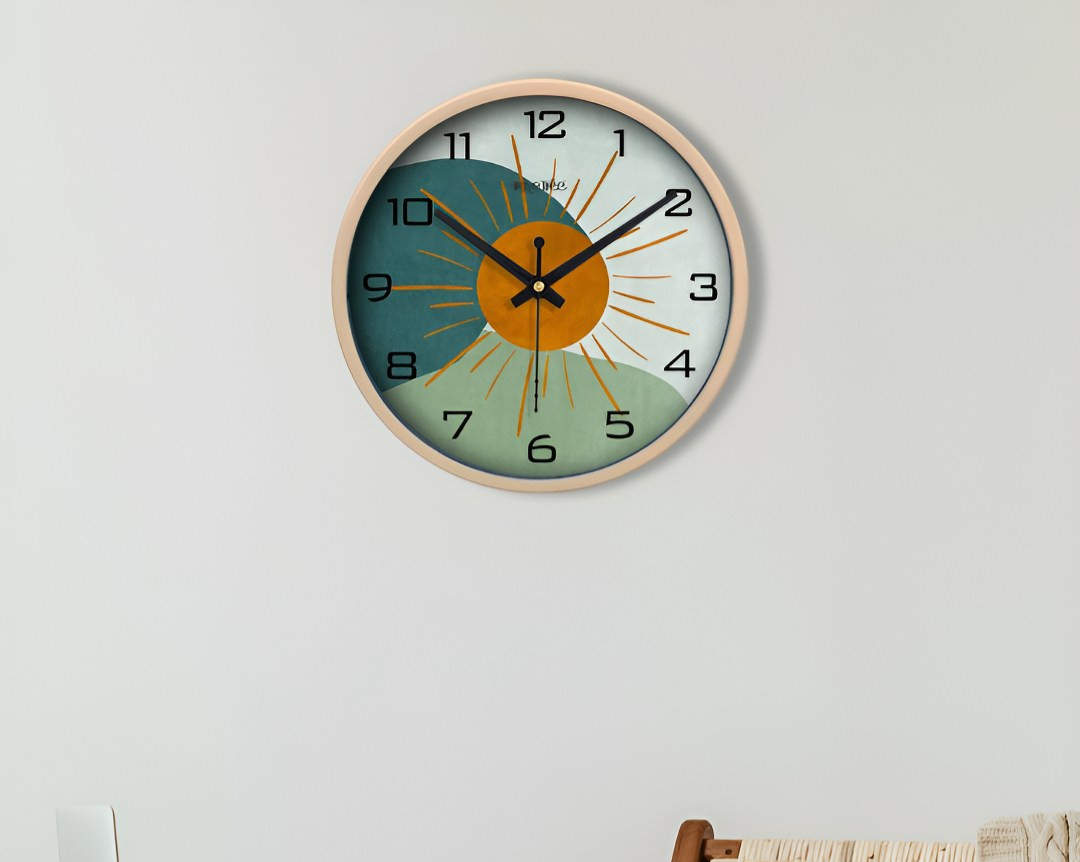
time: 10:09
